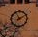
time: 11:10
